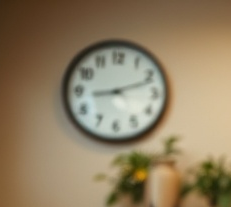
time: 9:11
